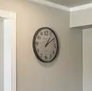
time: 1:09
